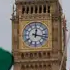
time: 12:17
